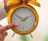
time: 1:50
